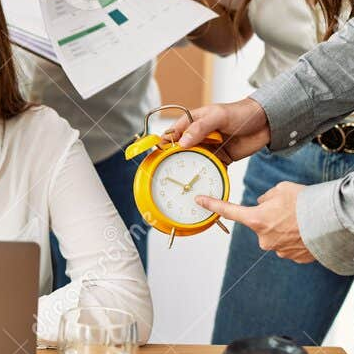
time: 1:50
